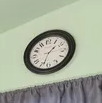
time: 1:33
